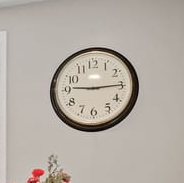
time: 9:14
